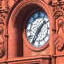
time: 1:35
